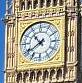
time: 10:39
